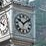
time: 10:08
